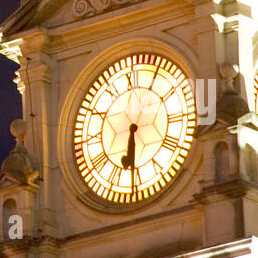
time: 6:30
